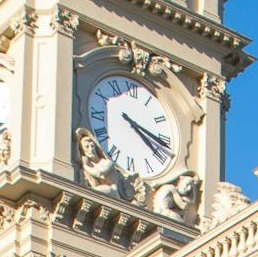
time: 4:17
